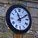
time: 11:10
